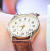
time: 8:32
